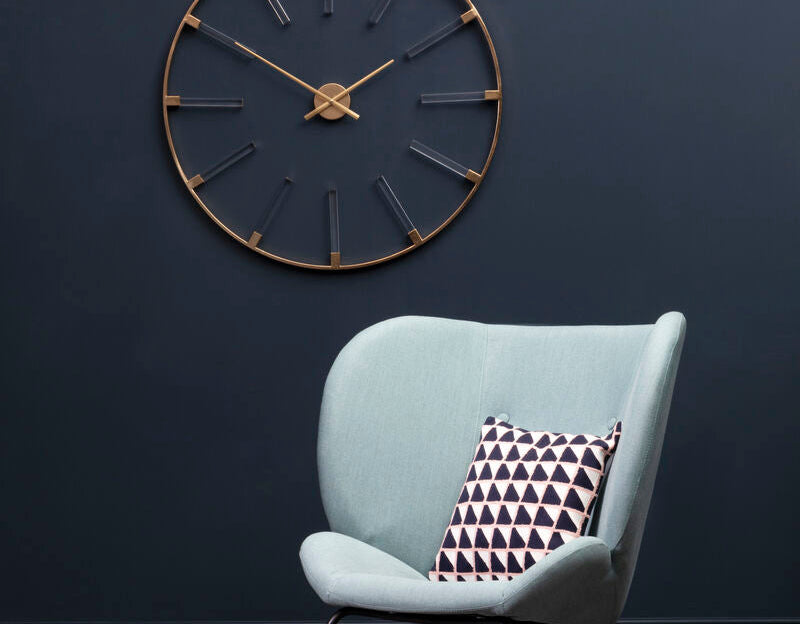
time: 1:50
